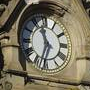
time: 11:33
